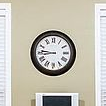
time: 8:45
